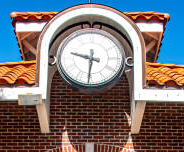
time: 9:31
